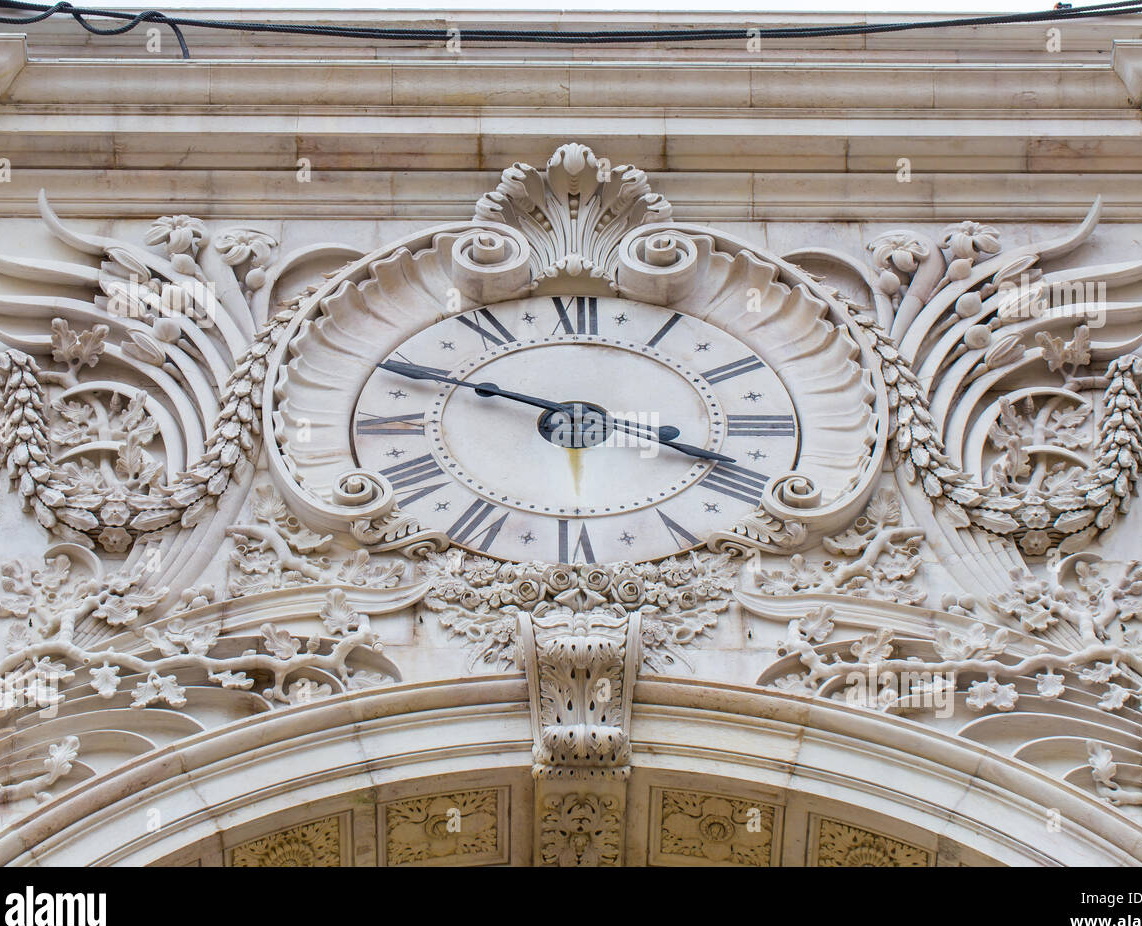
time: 3:48
